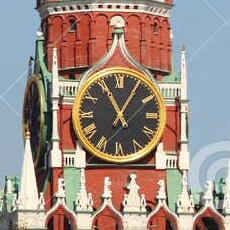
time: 11:05
